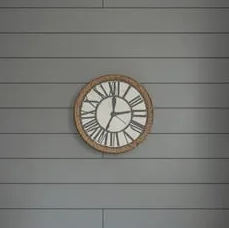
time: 12:13
